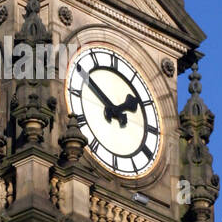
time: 1:50
